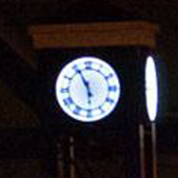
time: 5:55
